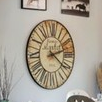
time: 2:21
